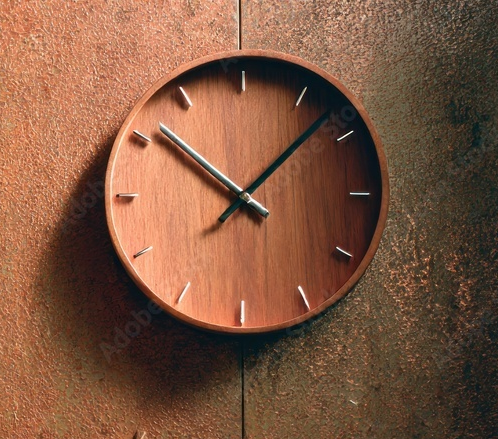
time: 10:07
